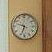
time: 9:33
